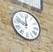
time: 11:47
